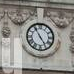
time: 4:54
